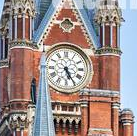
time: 5:24
